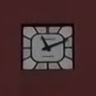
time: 11:10
